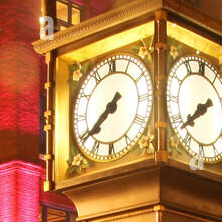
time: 7:38
